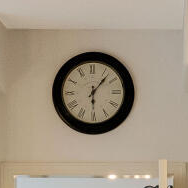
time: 6:06
